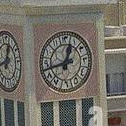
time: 12:43
